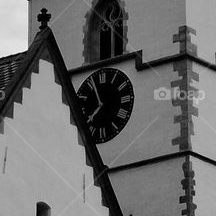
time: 7:56
